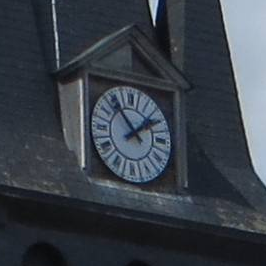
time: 1:53
